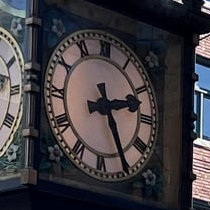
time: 2:25
